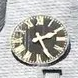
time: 2:25
